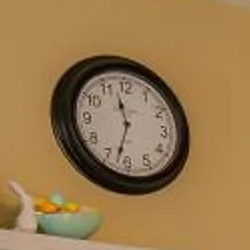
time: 11:32
